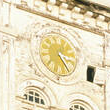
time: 3:24
